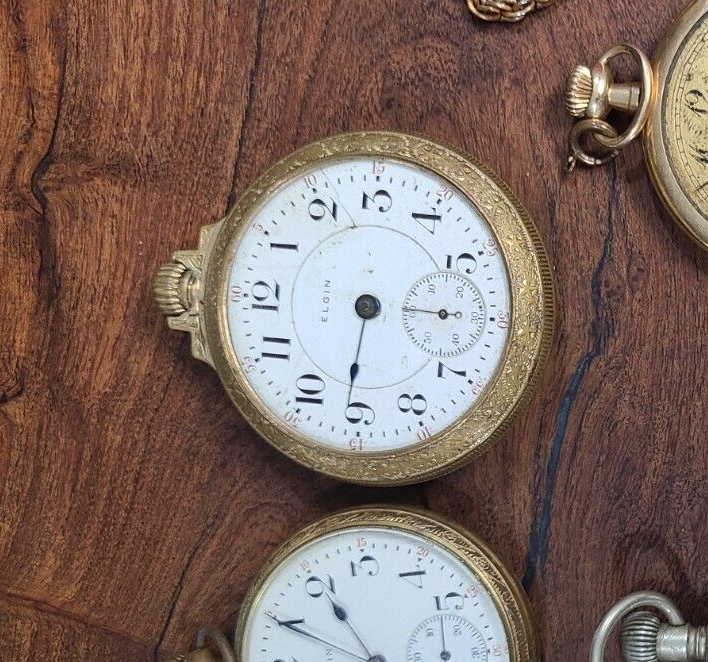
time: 6:14
